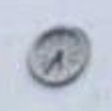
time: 5:35
